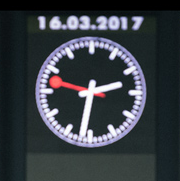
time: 2:31
